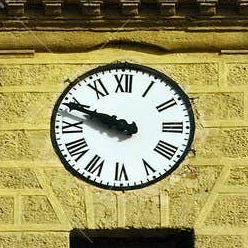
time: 9:48
